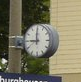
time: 8:59
